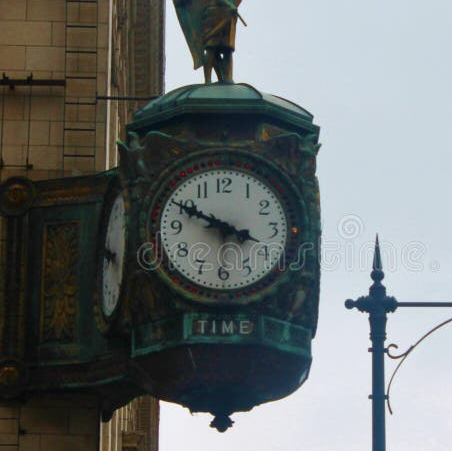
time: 3:49
